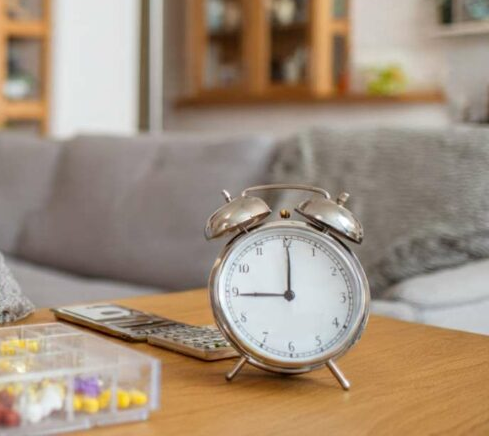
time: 9:00
